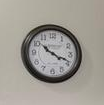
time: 10:18
